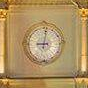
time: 9:01
